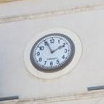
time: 1:56
